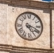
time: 5:18
